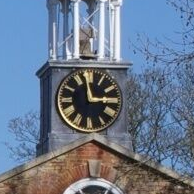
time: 2:58
